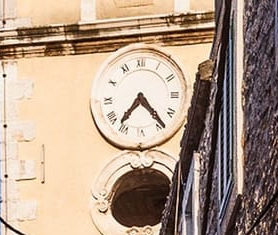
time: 7:23
